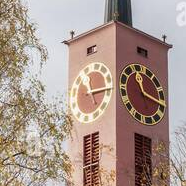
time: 11:14
